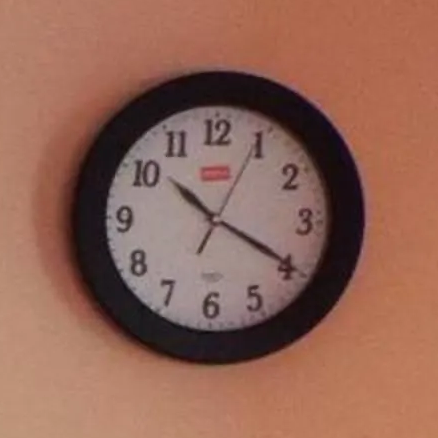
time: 10:19
